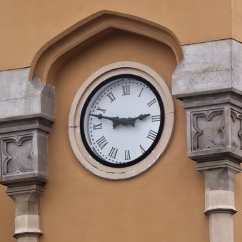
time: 2:47
